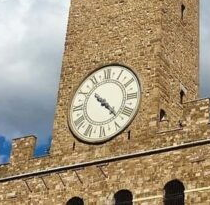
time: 10:22
